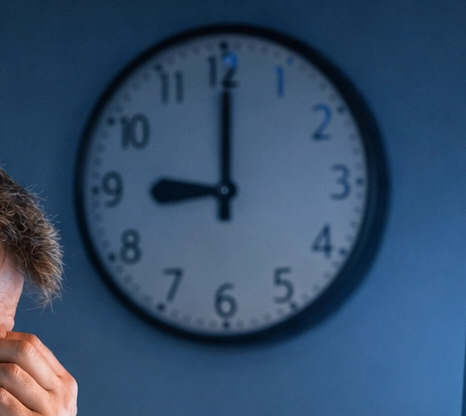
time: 9:00
